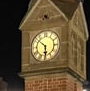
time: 5:51
